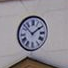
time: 1:52
